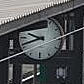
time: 9:41
